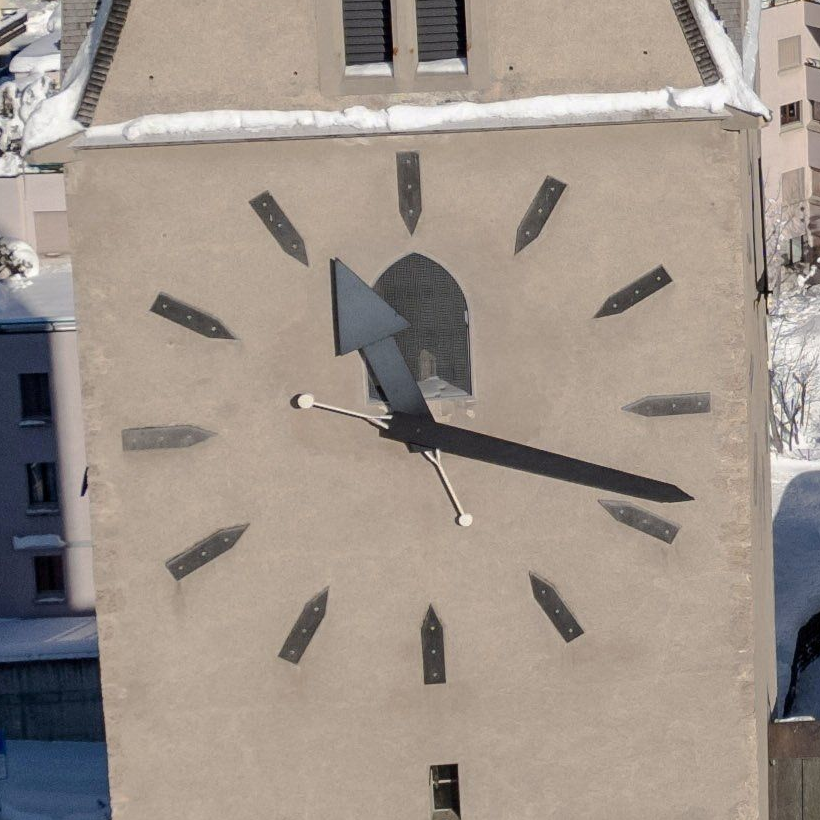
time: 12:18
